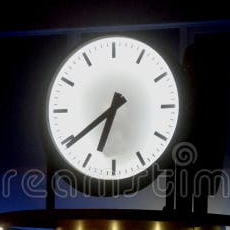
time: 6:39
